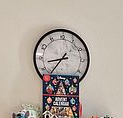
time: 8:36
